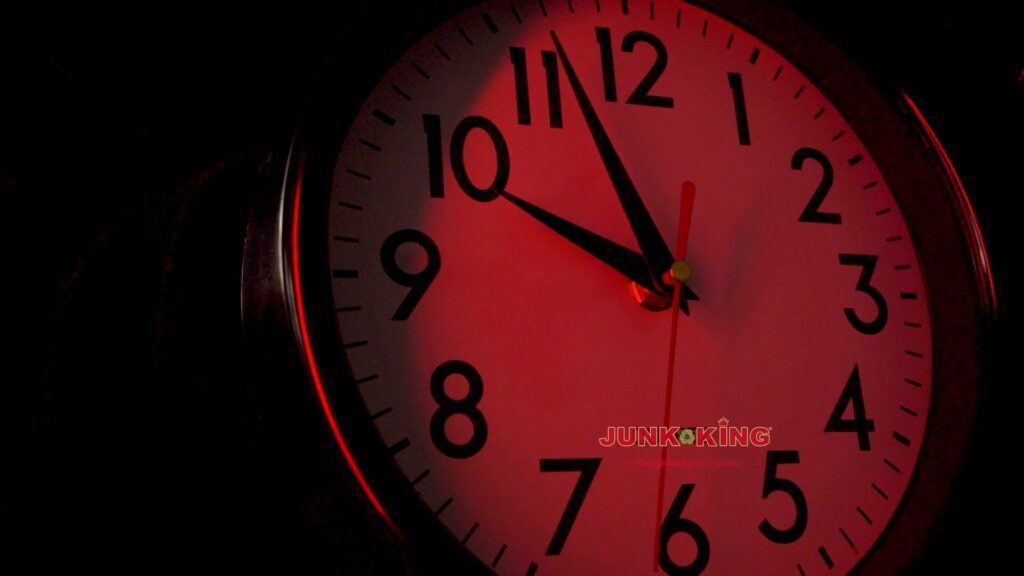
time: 9:56
